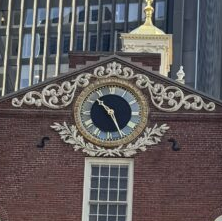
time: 10:26
